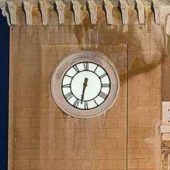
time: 6:32
